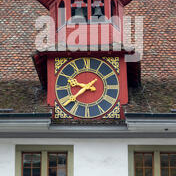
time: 9:38
